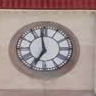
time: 6:58
